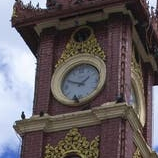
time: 1:49
